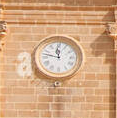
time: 11:47
